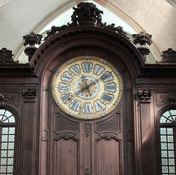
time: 12:08
